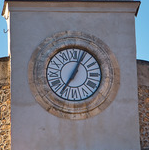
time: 7:04
